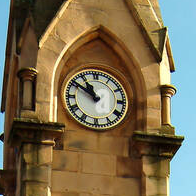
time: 10:50
